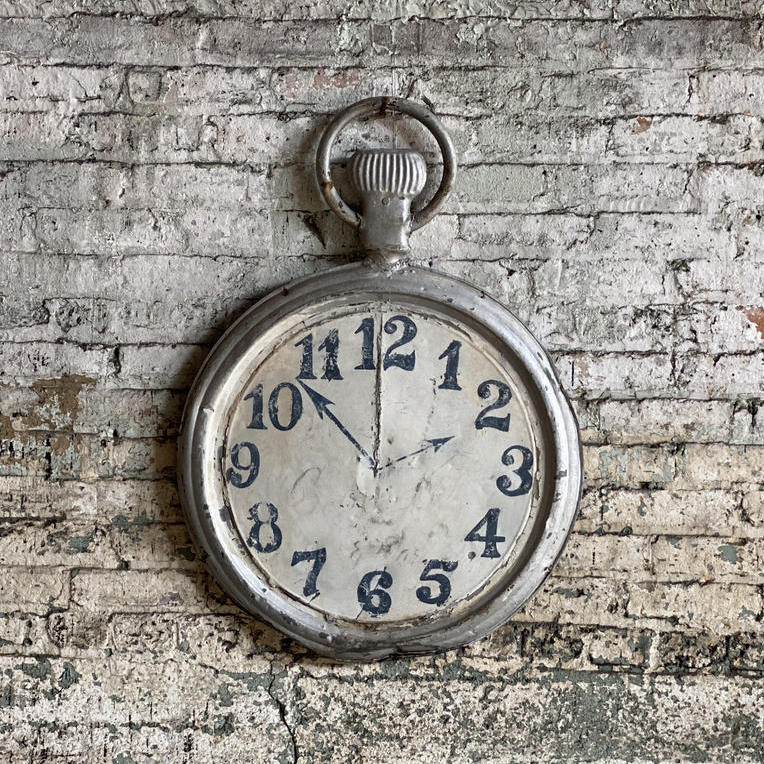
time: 11:52
